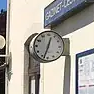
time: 12:33
